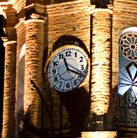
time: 11:19
